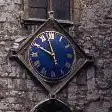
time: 9:57
